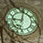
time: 9:01
